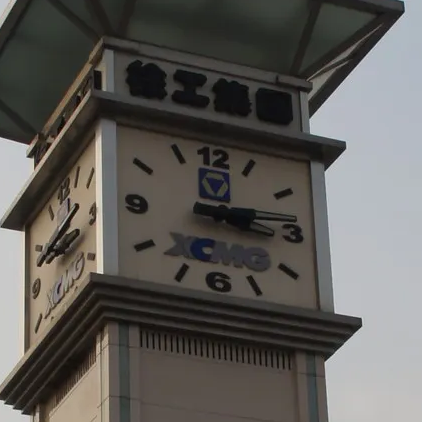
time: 3:13
